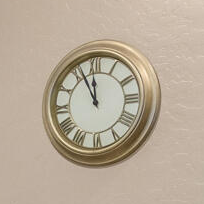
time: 11:55
